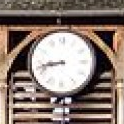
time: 8:42
